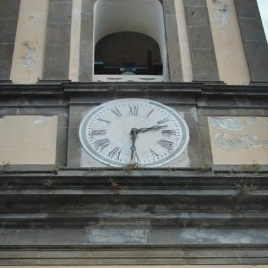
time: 2:30
